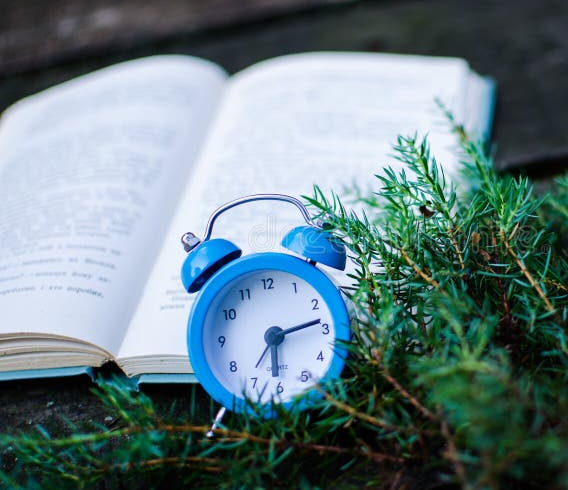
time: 6:13
